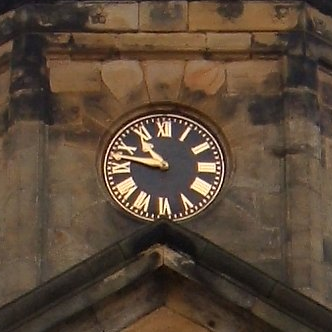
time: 10:47
